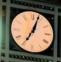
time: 7:03
